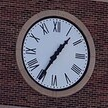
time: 1:35
